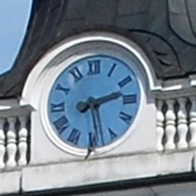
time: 2:28
